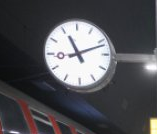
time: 11:11
